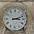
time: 3:12
